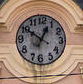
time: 12:50
